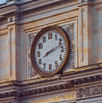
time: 8:12
